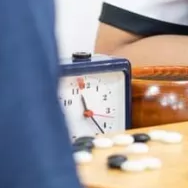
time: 11:22
